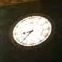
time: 8:37
